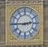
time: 2:45
